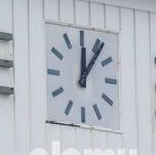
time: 12:06
